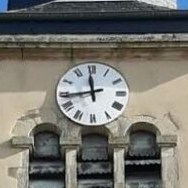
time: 11:43
